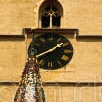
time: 1:40
